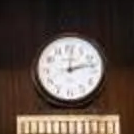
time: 12:12
